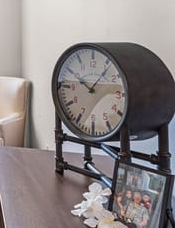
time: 10:06
